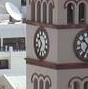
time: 10:34
